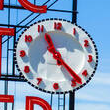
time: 11:22
